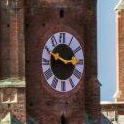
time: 2:49
